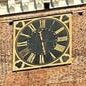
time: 11:28
